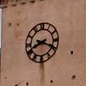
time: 8:18
